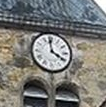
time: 3:58
